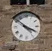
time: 3:52
